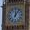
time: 12:06
